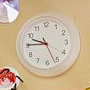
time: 9:45
